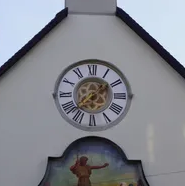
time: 1:37
